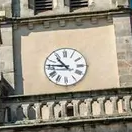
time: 10:45
